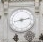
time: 2:42
